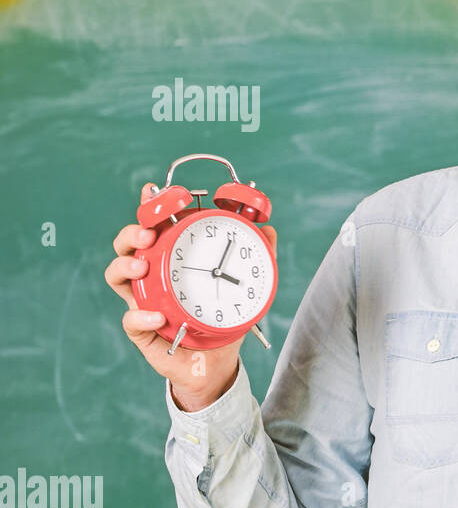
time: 4:05
